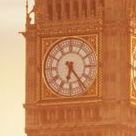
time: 6:23
